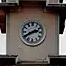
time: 2:40
